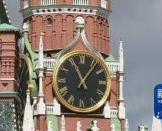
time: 11:06
